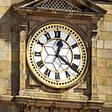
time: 12:21
